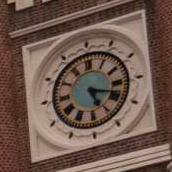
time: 5:18
